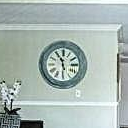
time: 11:29
